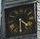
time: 4:30
